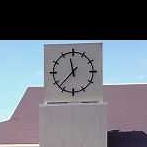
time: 11:37
